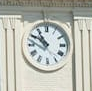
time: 10:50
